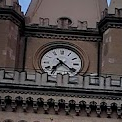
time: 7:21
